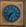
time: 7:36
